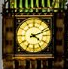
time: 4:11
